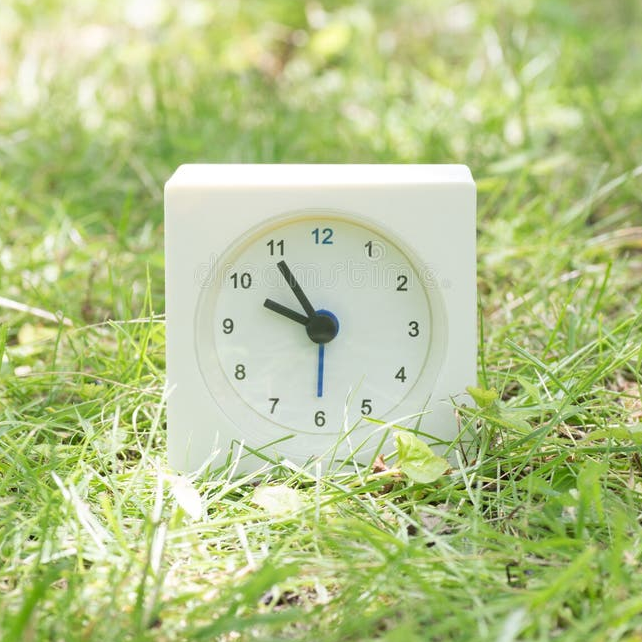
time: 9:54
